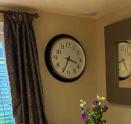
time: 3:34
